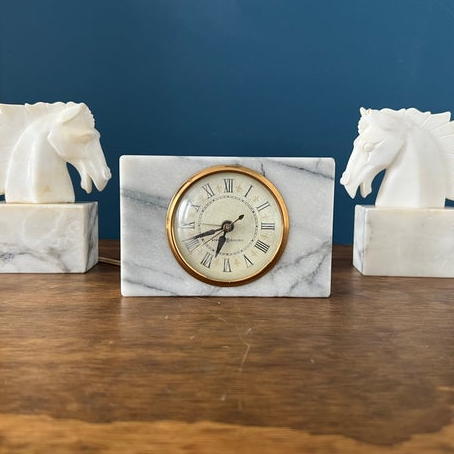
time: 6:41
